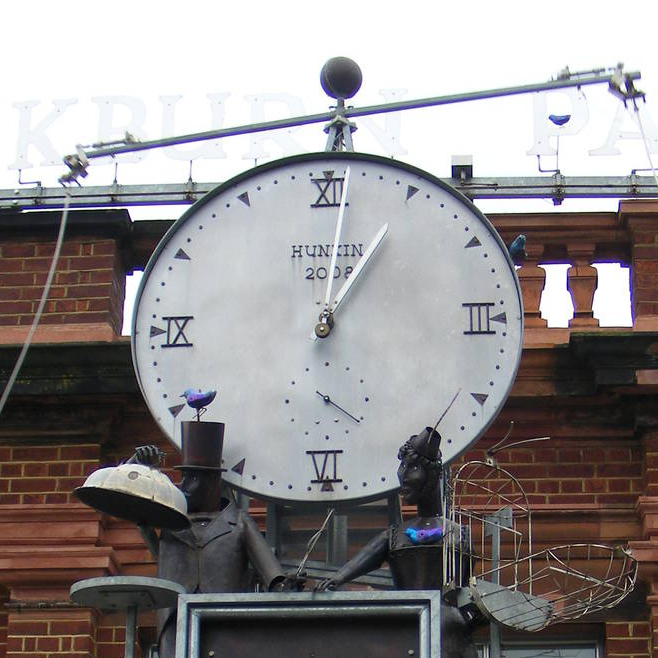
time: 1:01
